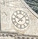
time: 10:07
